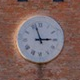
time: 2:57
